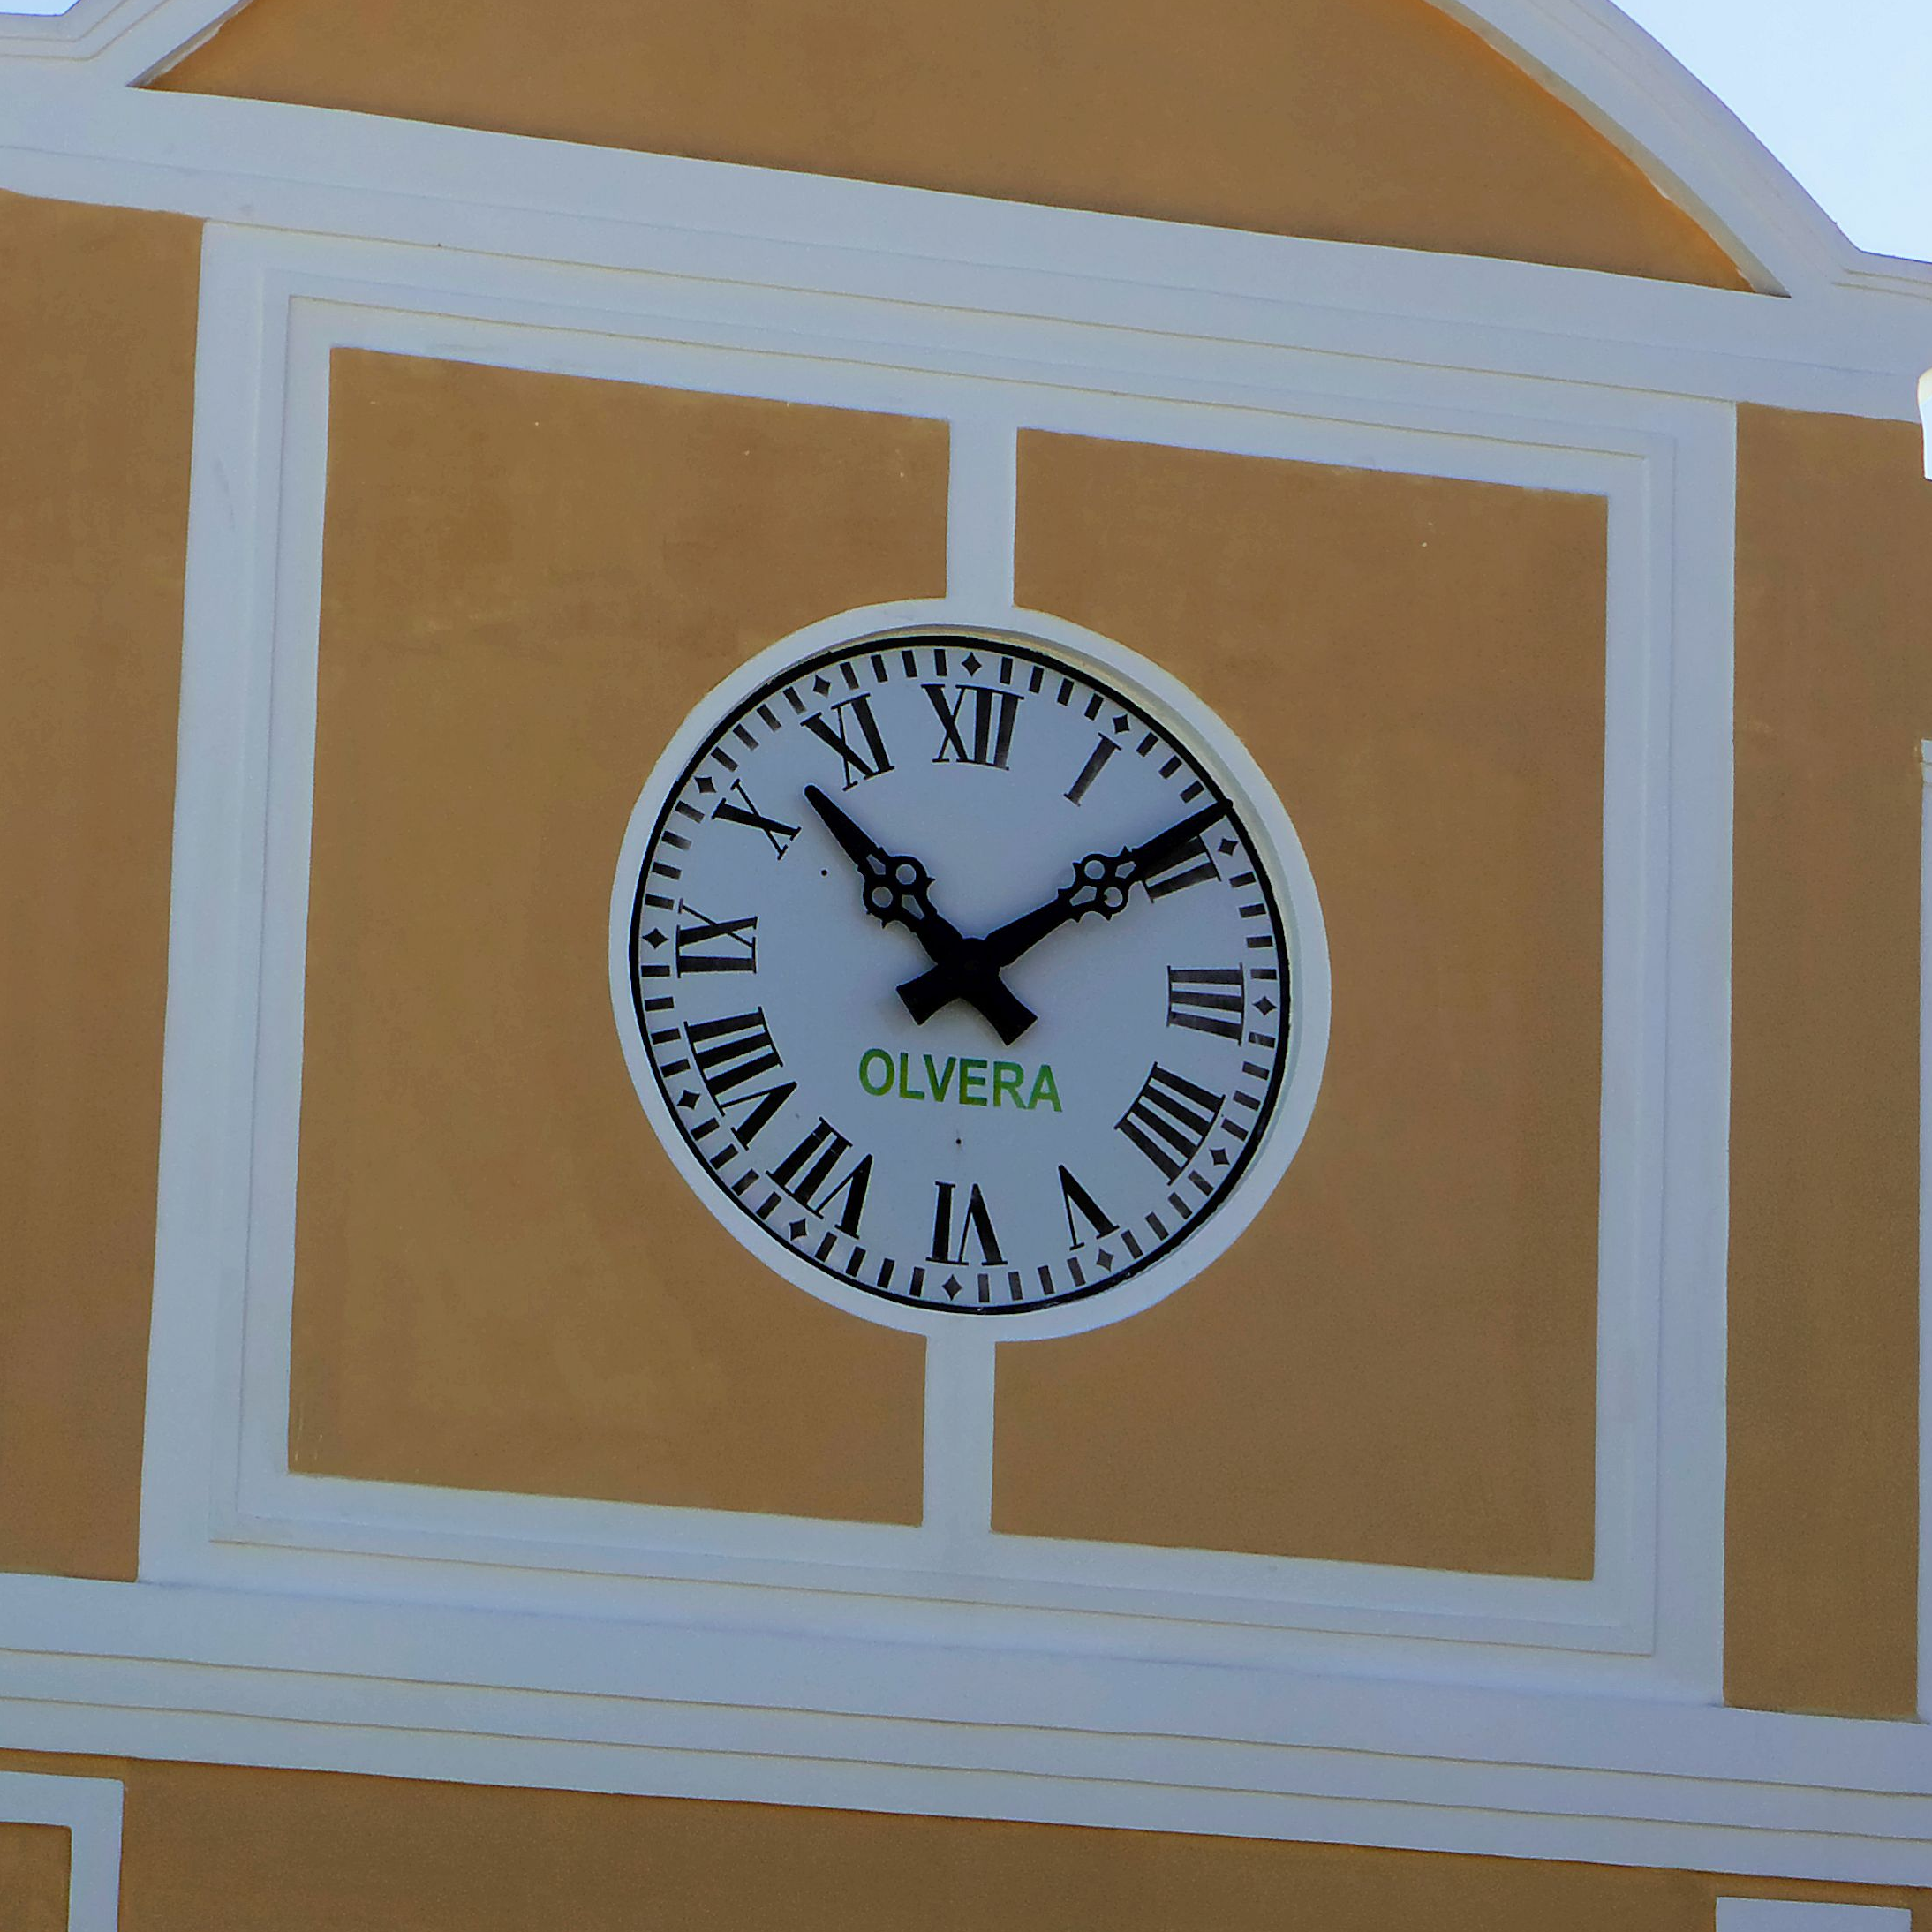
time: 1:52
